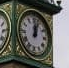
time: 12:03
